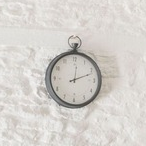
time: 12:11
